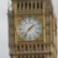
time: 1:36
